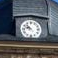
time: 9:53
